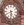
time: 5:40
